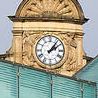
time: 2:06
